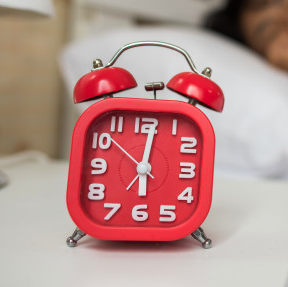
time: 6:01
